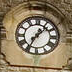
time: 1:34
